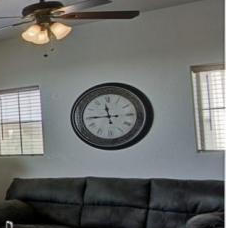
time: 11:44
